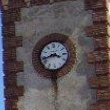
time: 3:42
